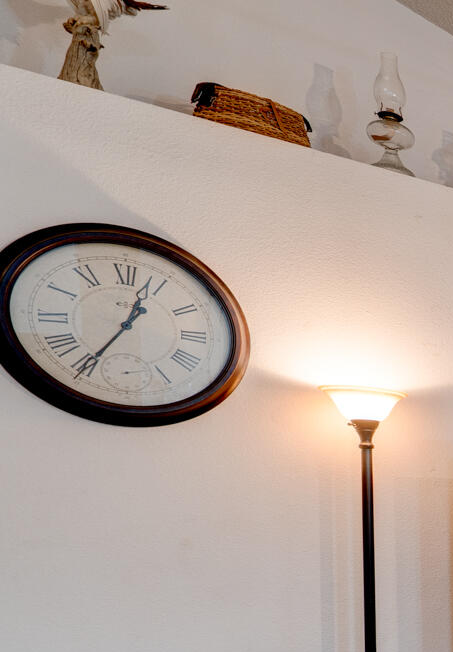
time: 12:35
